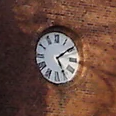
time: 5:09
